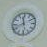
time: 11:41
